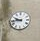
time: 9:43
